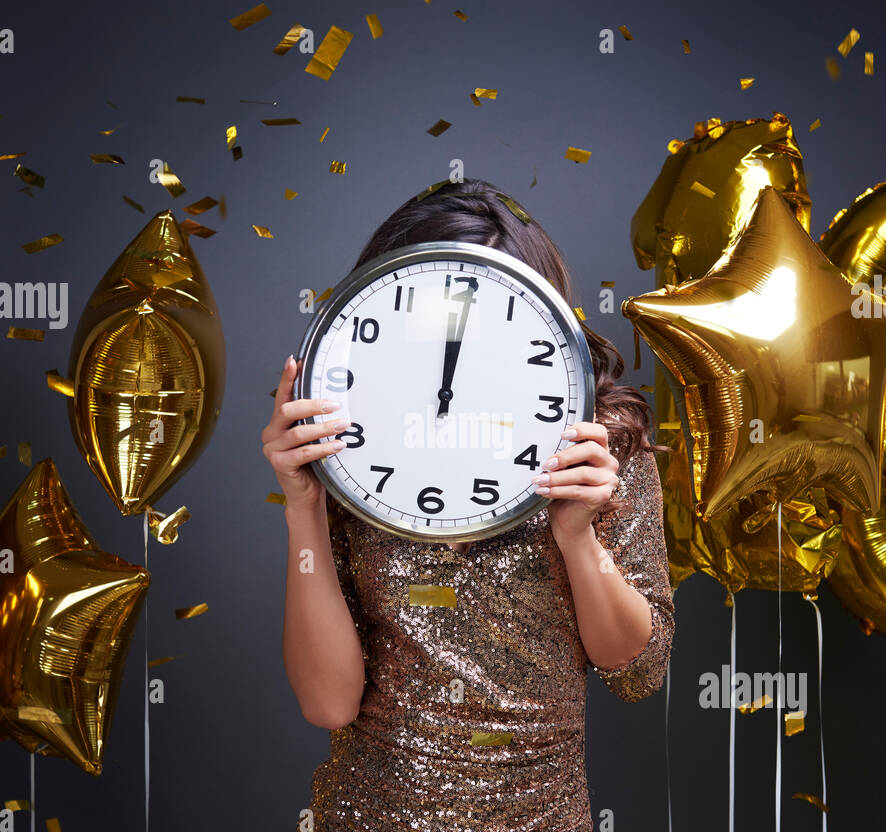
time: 12:01
